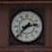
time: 2:37
